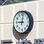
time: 9:01
